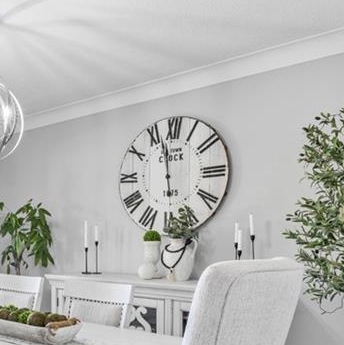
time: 5:57
